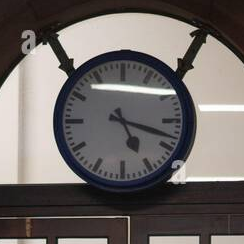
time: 5:18
